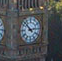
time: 2:52
